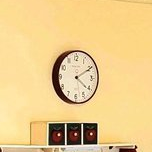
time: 4:10
